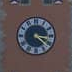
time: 4:16
